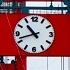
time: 10:42
